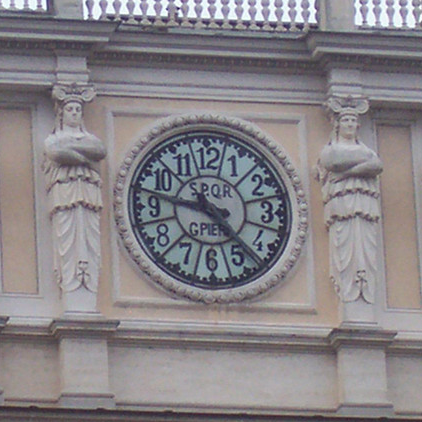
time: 9:22
